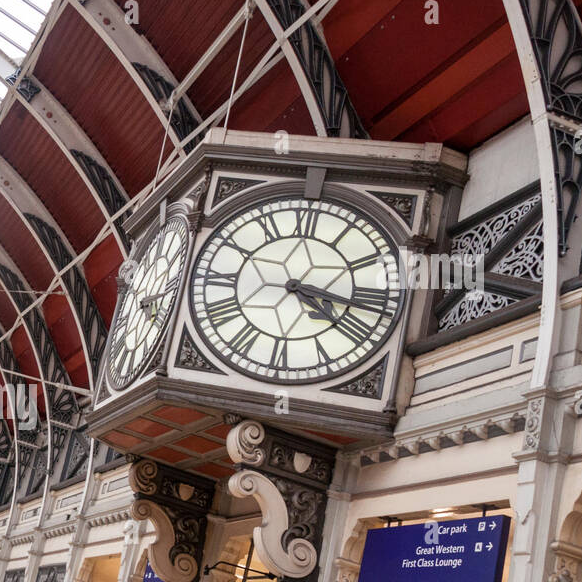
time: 4:16
